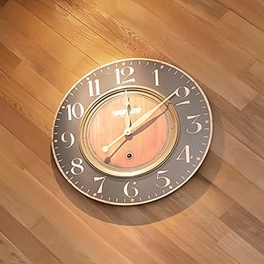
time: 12:09
